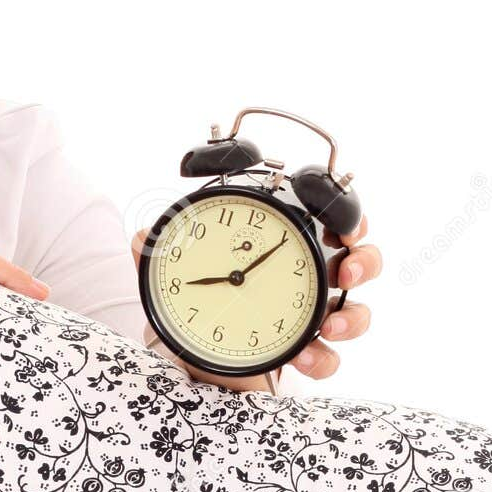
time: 8:06
